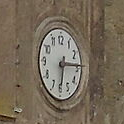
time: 6:14
